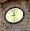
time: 8:28
